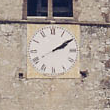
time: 2:09
